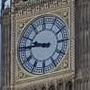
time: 9:45
